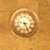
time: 9:25
